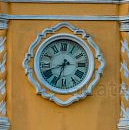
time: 8:33
